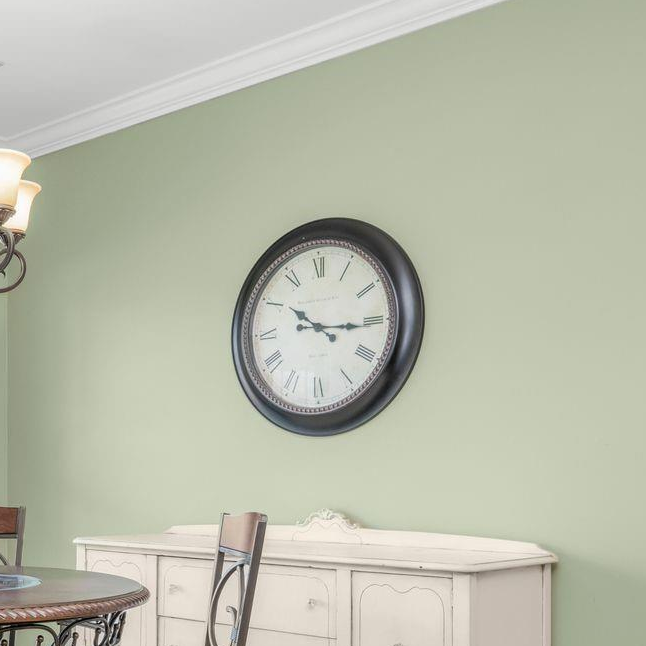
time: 10:14
